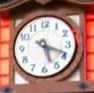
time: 5:18
